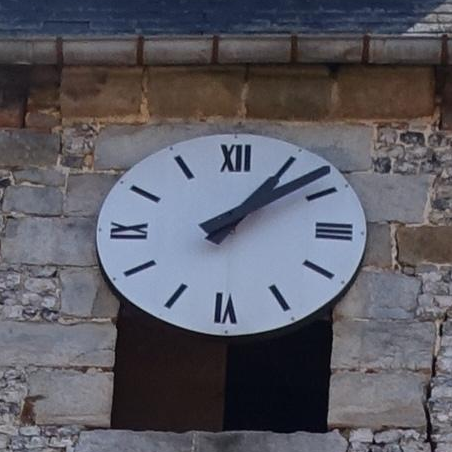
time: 1:08
